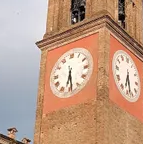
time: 6:28
